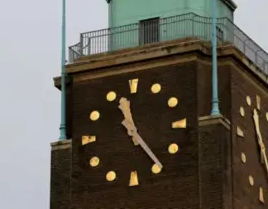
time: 11:24
